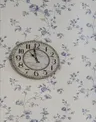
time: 10:58
